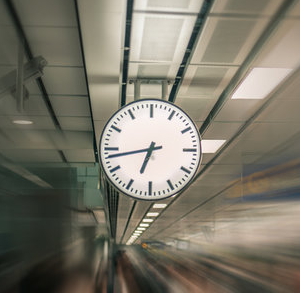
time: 6:43
